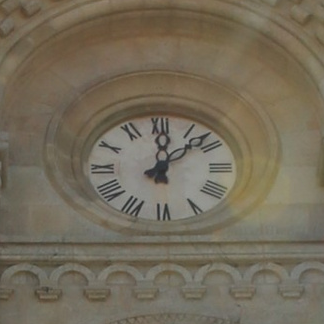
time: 12:07
